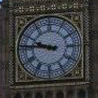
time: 9:46
